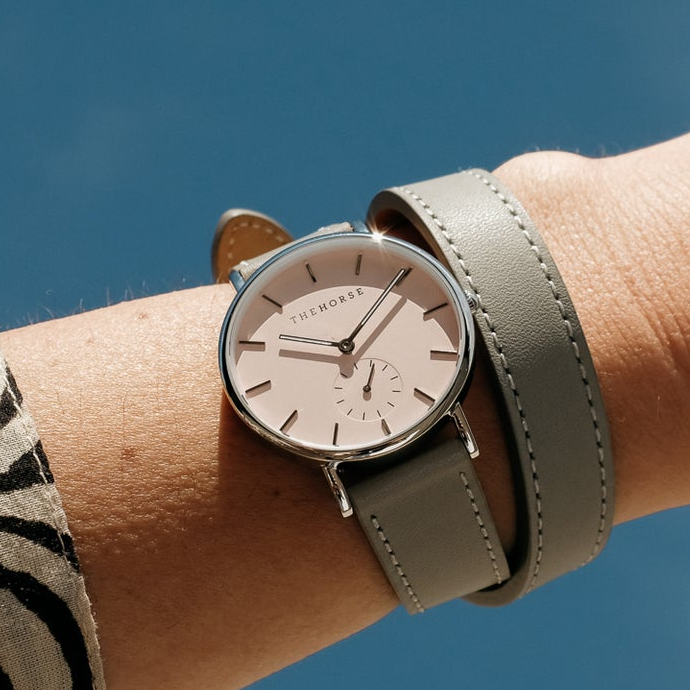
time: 9:04
